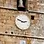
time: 2:48
